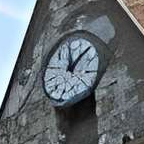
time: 12:07
